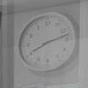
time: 8:12
